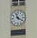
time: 11:19
